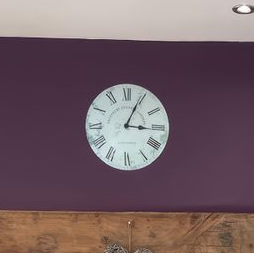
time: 3:04
